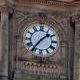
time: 1:36
